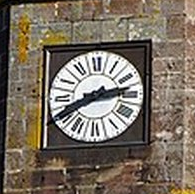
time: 2:40
